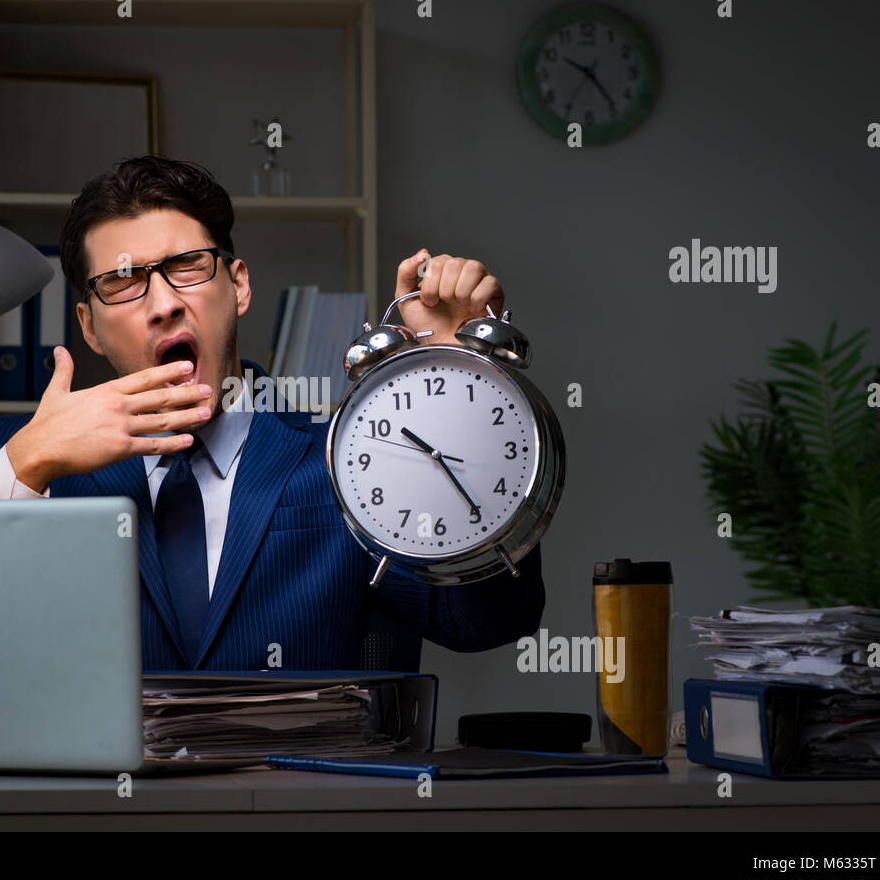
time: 10:24
